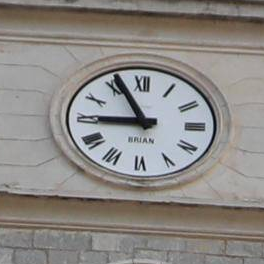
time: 8:55
